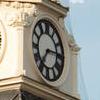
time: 7:15
